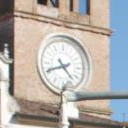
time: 4:41
